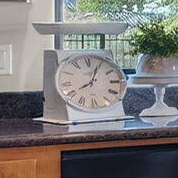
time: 8:03
